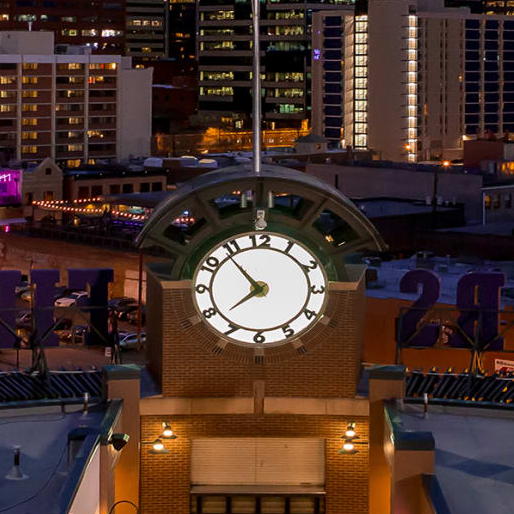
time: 7:53
